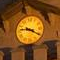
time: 9:20
